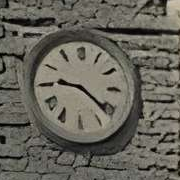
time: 9:21
